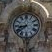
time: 8:38
